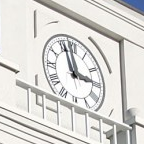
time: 2:56
